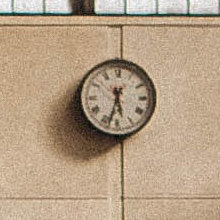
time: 5:32
